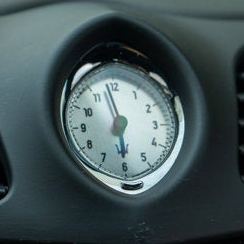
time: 5:58
